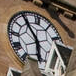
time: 5:54
